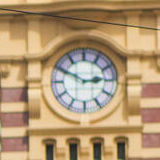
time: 2:49
